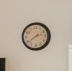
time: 2:39
